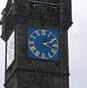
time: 2:18
